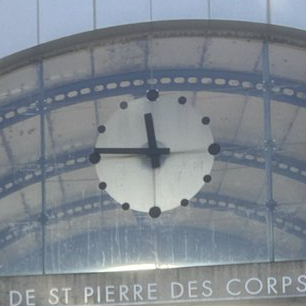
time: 11:45
